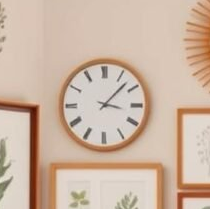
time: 3:07
